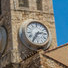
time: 2:35
